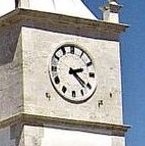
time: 2:21
